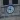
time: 9:01
